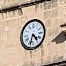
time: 4:32
